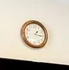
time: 1:16
